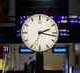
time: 2:17
